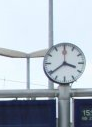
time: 3:39
